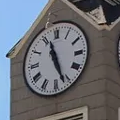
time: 11:26
